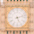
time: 5:12
